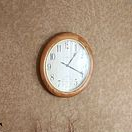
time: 1:19
